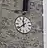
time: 11:38
